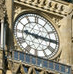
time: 9:15
